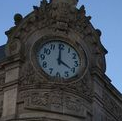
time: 4:00
